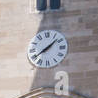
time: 1:39
